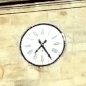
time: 7:24
